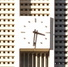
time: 3:31
